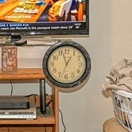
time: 12:57
